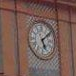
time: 5:08
